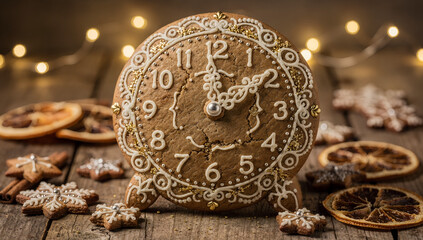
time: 1:59
